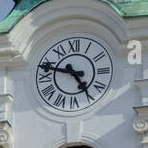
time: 4:48
